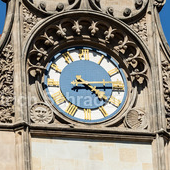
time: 4:14
